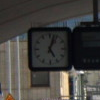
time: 5:03
